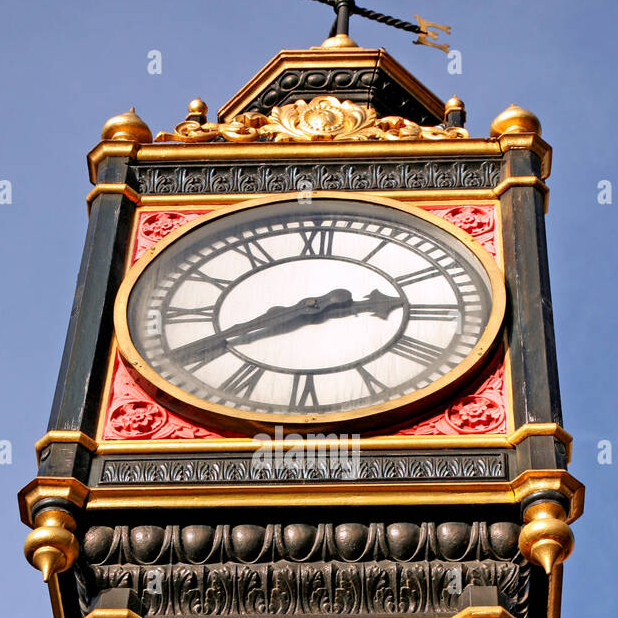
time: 2:40
